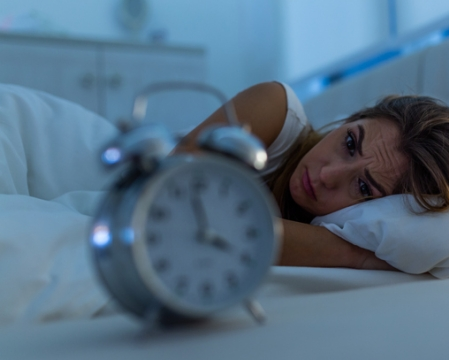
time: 3:58
